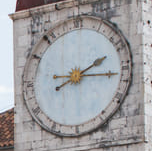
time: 2:15
